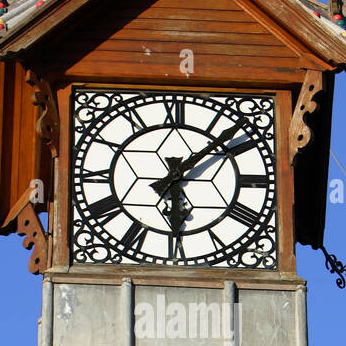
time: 6:07
